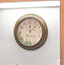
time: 12:07
